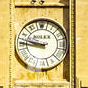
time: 9:45
